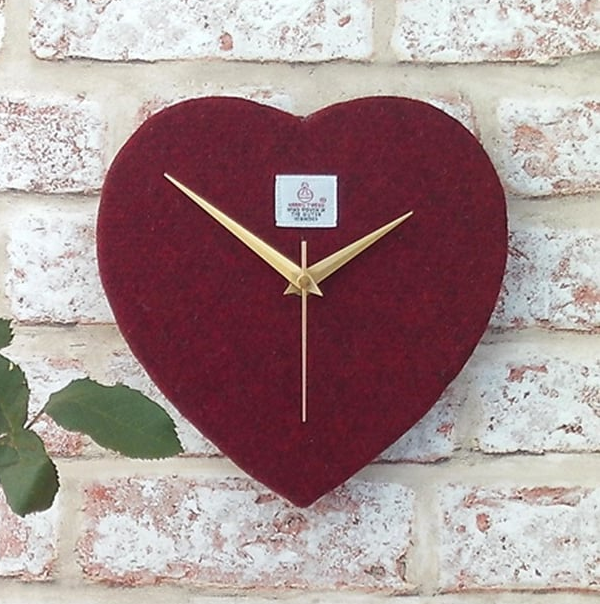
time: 1:51
